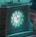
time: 11:13
